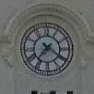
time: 7:20
